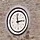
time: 2:59
